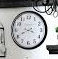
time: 3:40
